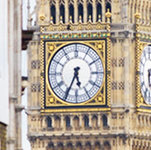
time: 5:34
